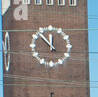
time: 11:52
